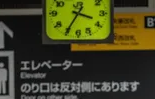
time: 3:35
